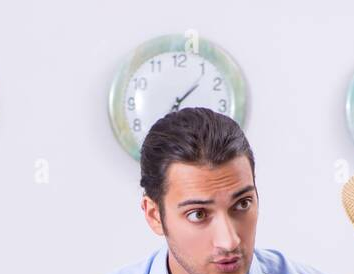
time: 1:37
